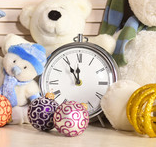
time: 11:55
